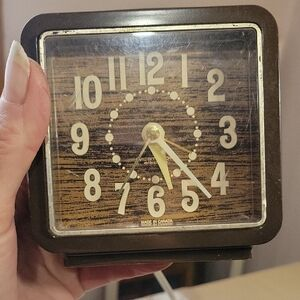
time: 5:22
